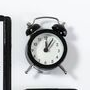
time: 12:05
